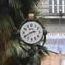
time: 2:40
